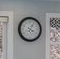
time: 4:04
